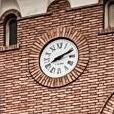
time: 8:11
